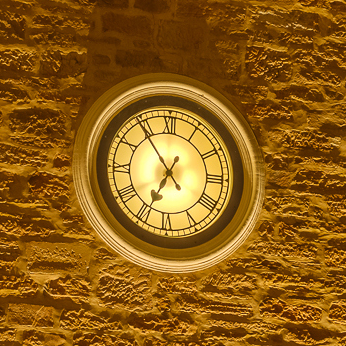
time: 6:54
